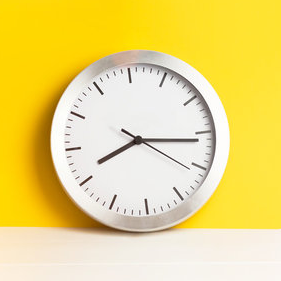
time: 8:16
